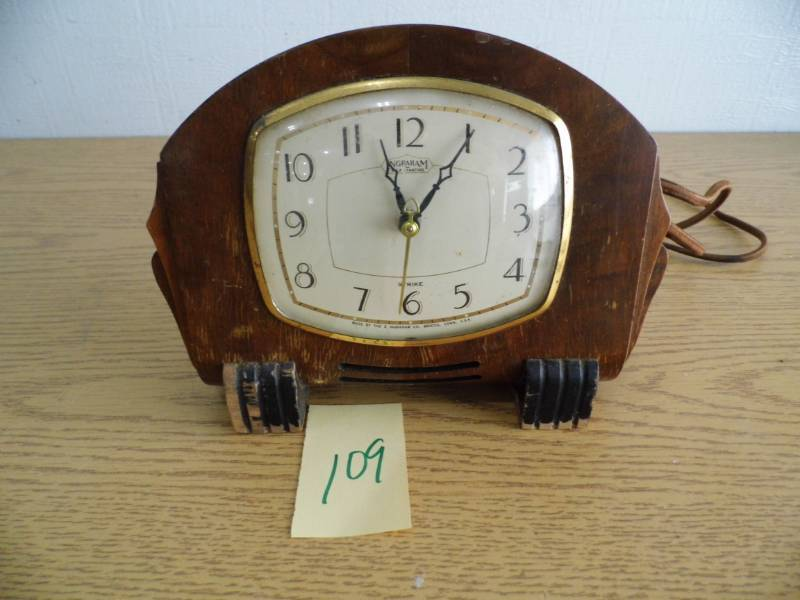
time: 12:58
